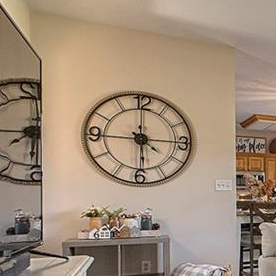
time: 5:45
